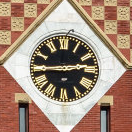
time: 2:44
